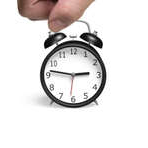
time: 2:46
